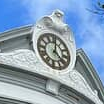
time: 4:01
